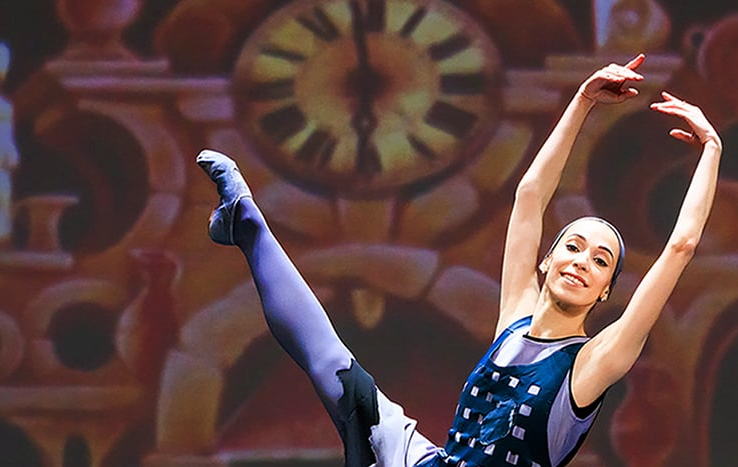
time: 5:59
